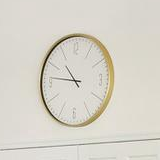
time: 10:46
